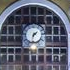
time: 1:32
